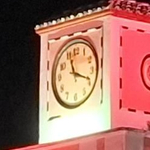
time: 11:18
